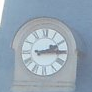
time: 2:14
